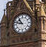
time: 10:47
